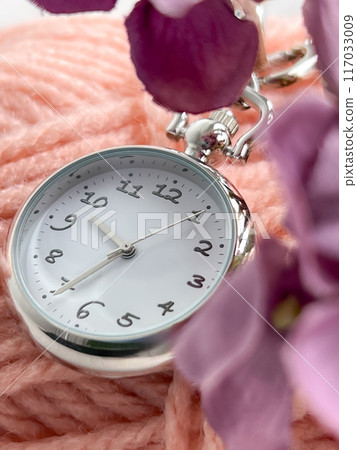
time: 10:39
